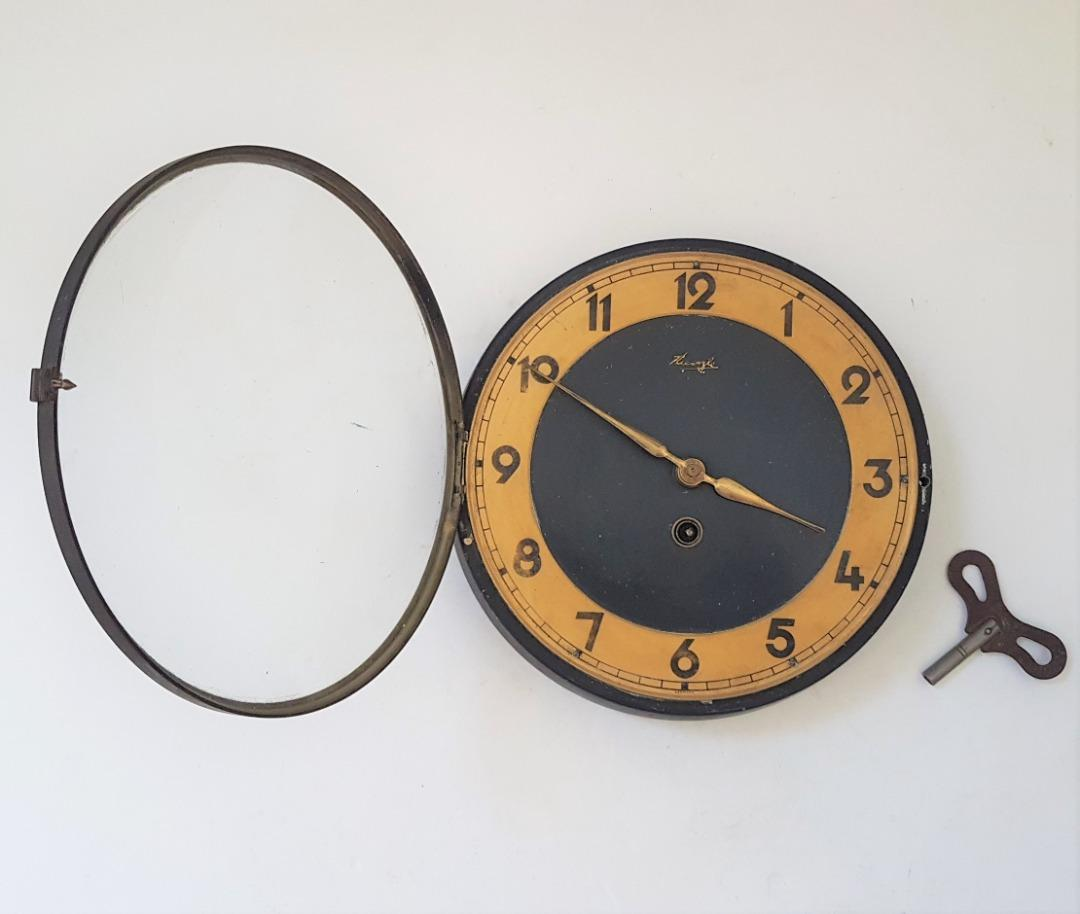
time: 3:50
